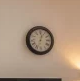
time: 12:32
